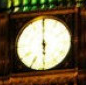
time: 5:59
